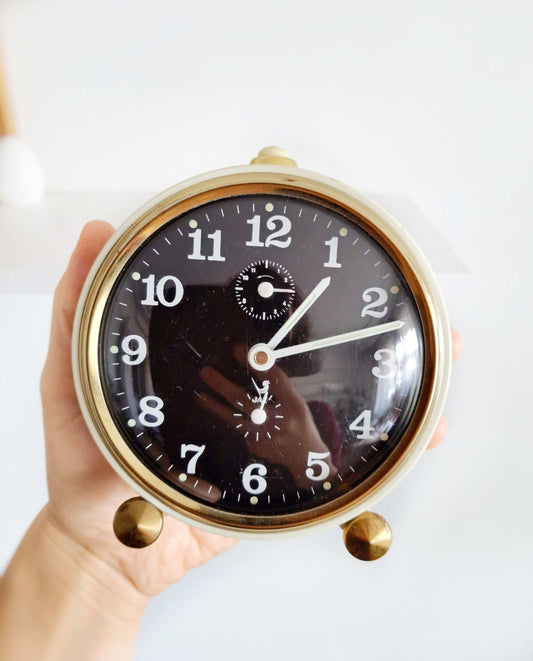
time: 1:12
